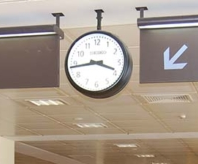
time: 3:43
